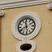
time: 11:40
